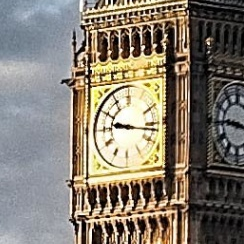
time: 9:16
